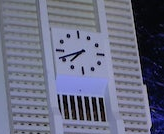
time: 7:41
